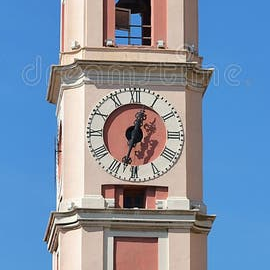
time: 12:32
